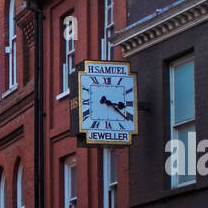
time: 3:21
